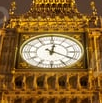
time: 12:19
